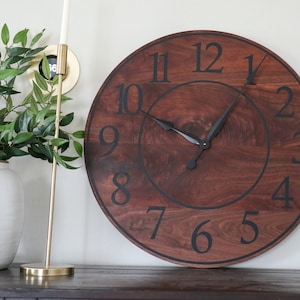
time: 10:05
